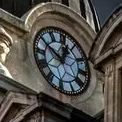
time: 12:50
